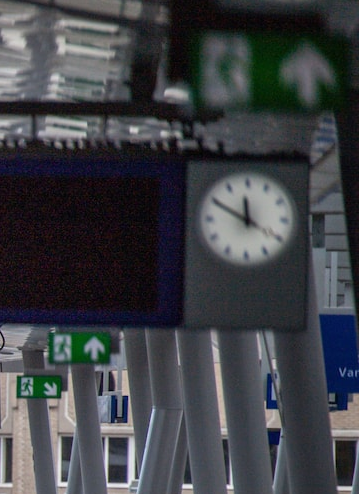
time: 11:49
